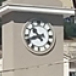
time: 10:41
